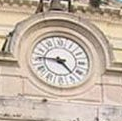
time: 4:45
